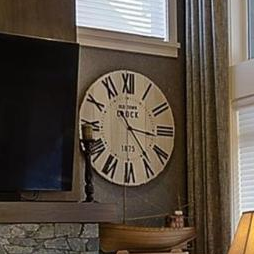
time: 3:23
